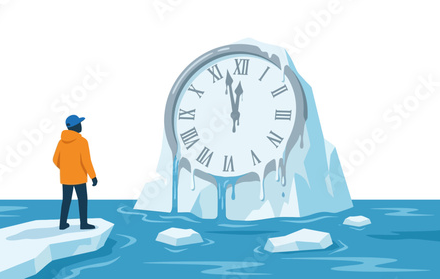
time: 11:57
